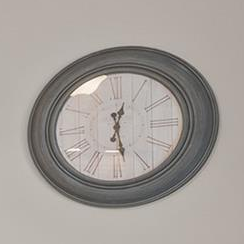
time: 12:28
